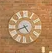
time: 4:41
